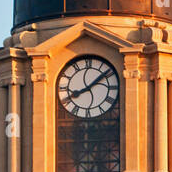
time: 8:08
